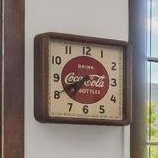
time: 8:40
